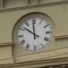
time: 11:51
